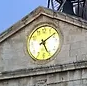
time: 5:09
